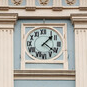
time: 1:21
